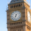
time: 6:32
